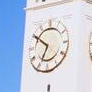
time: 6:50
